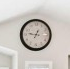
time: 12:46
